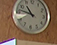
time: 10:46
